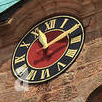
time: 11:09
